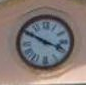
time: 3:50
